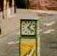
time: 4:04
